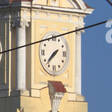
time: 7:37
